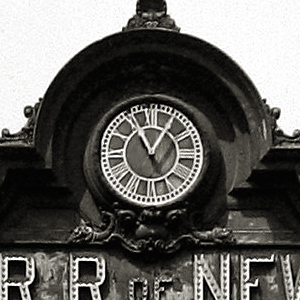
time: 11:05
